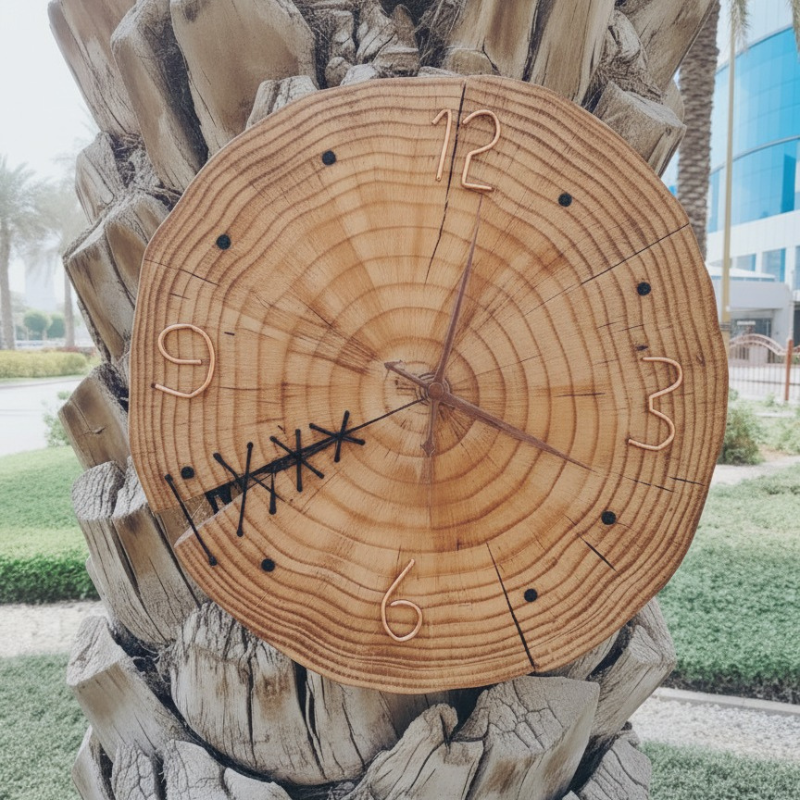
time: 8:01
